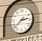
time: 2:38
